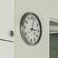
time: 3:02
